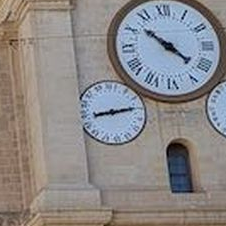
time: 8:12
